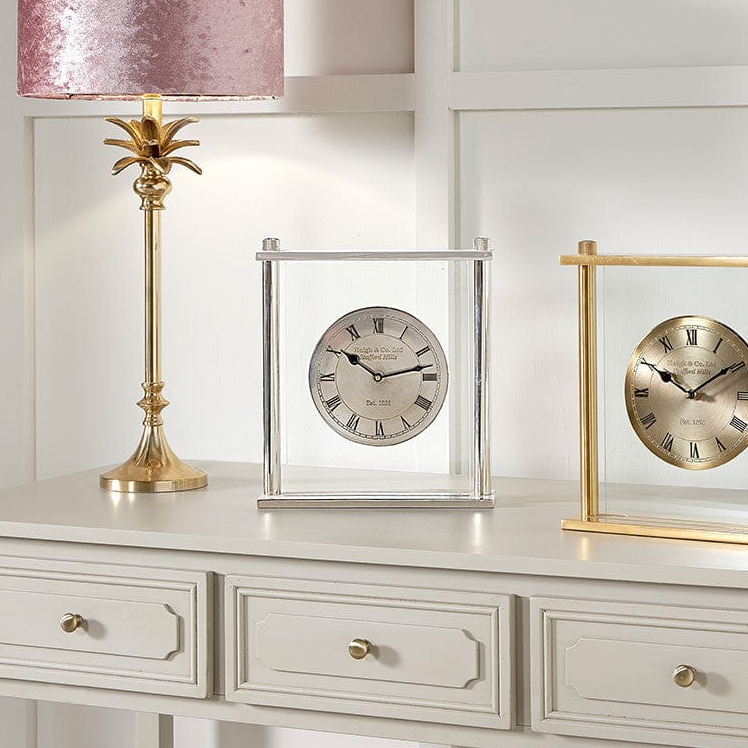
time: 10:13
